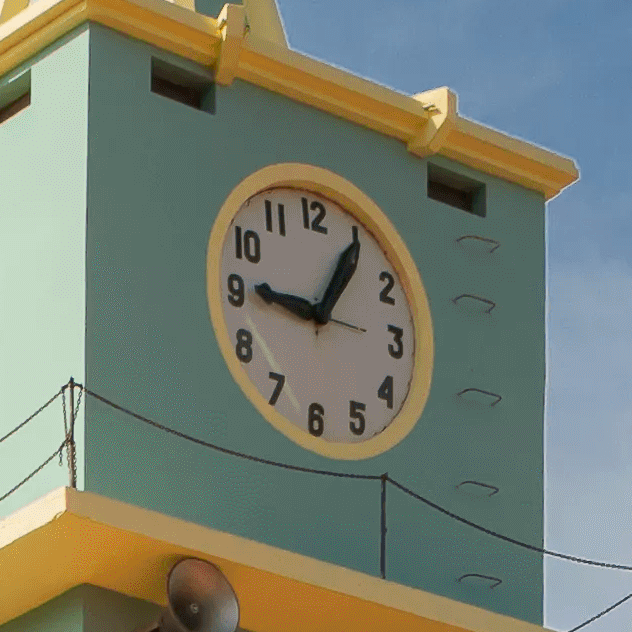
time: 9:05
